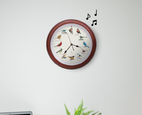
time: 3:36
